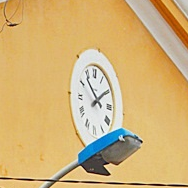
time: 1:53
